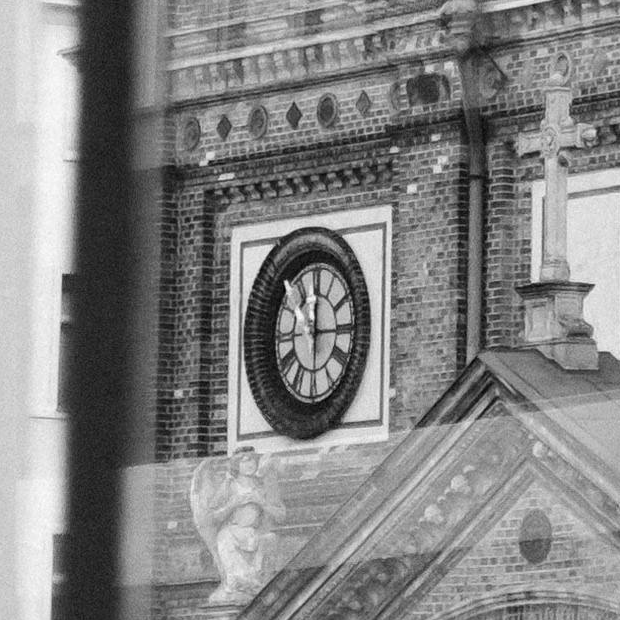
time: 12:15
